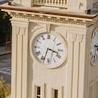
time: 3:33
